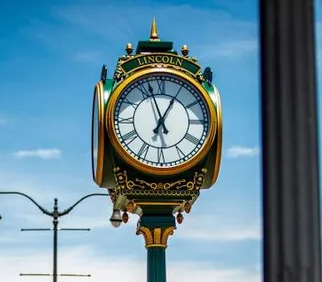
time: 6:57
